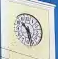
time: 10:28
